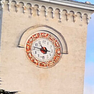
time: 10:46
